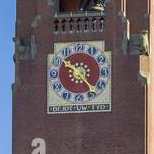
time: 10:23
